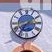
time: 7:15
